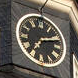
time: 7:12
